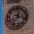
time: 12:16
